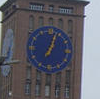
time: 1:03
